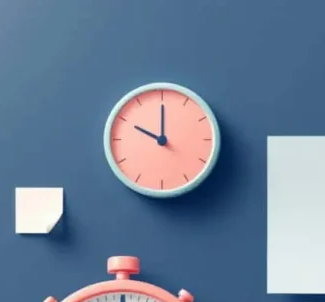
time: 10:00
